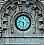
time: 5:48
